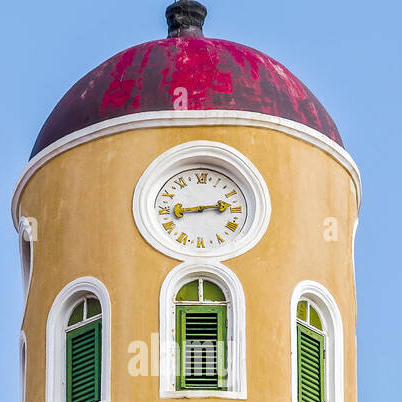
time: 2:43
